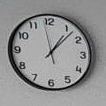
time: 1:07
